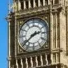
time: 2:38
